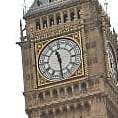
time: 11:29
